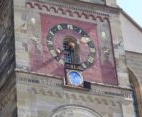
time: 7:30
